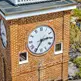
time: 2:35
